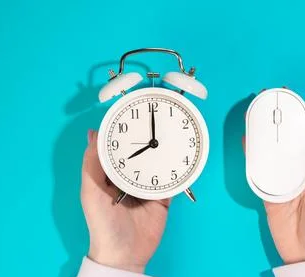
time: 8:00
